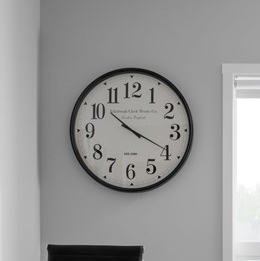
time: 10:19
